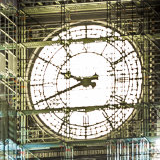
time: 9:41
